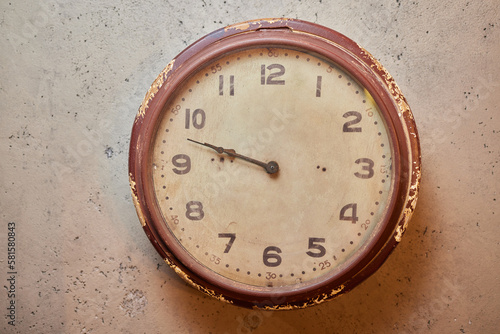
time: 9:47
